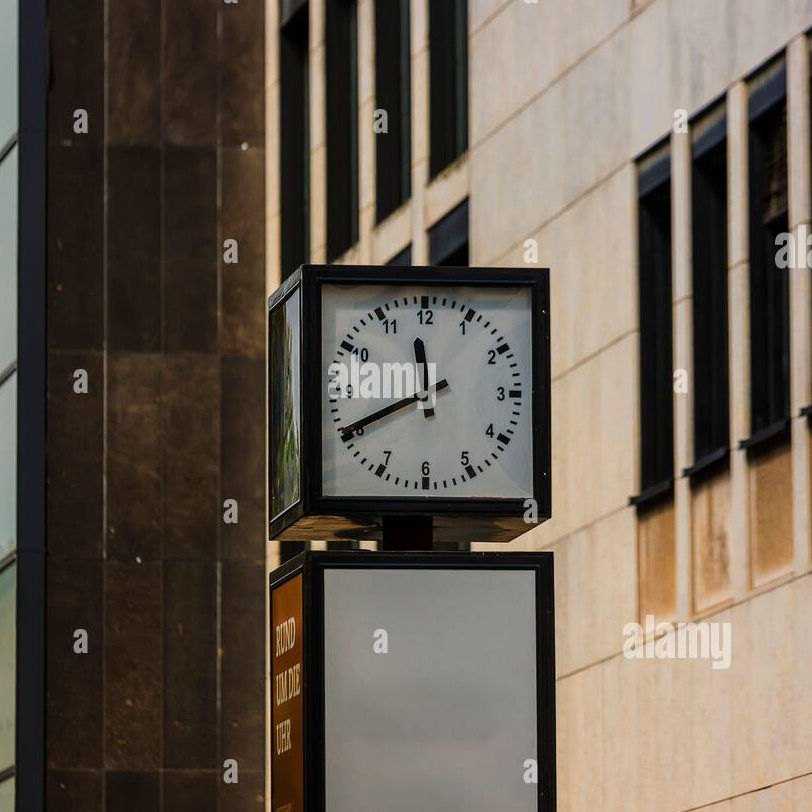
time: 11:40
